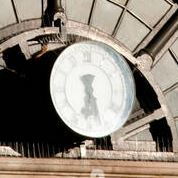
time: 6:27
